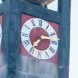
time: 7:13
